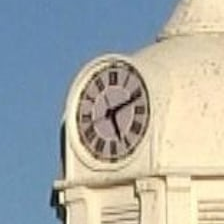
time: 5:11
